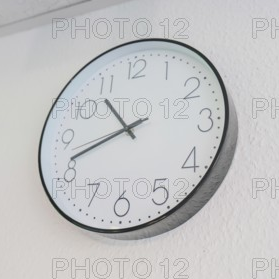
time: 10:41
